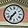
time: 7:36
